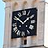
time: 1:50
